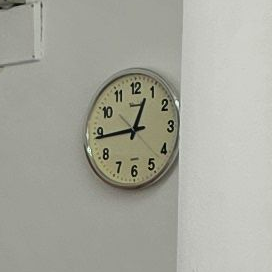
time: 12:44
